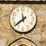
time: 11:38
